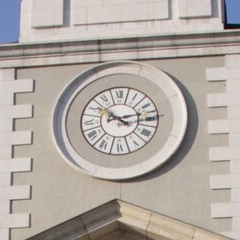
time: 10:12
